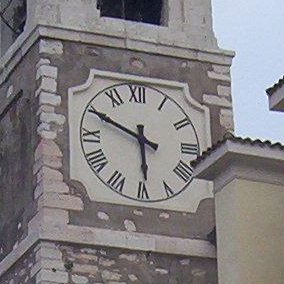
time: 5:49
